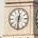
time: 12:31
